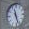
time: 11:26
